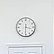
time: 3:30
